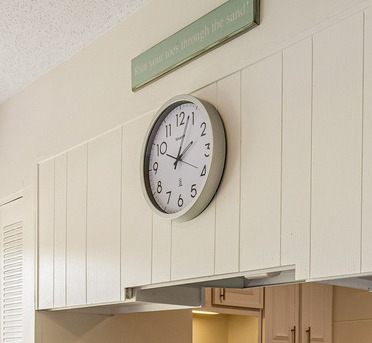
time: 2:03
